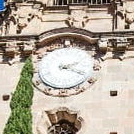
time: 2:18
